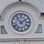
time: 1:53
